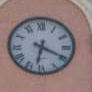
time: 6:19
